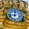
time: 9:01
